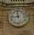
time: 11:44
